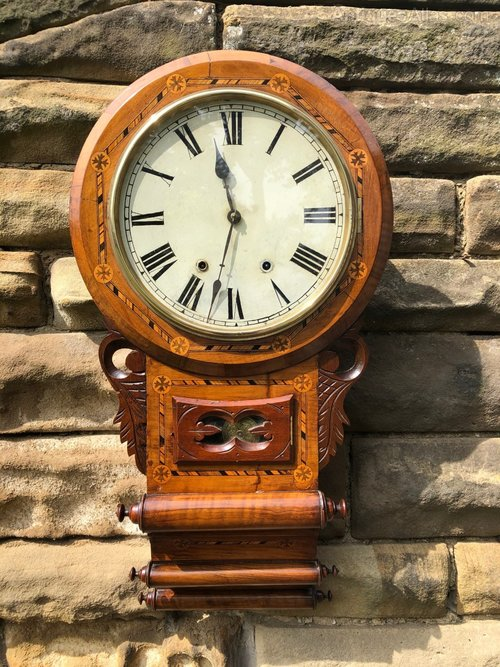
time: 11:32
